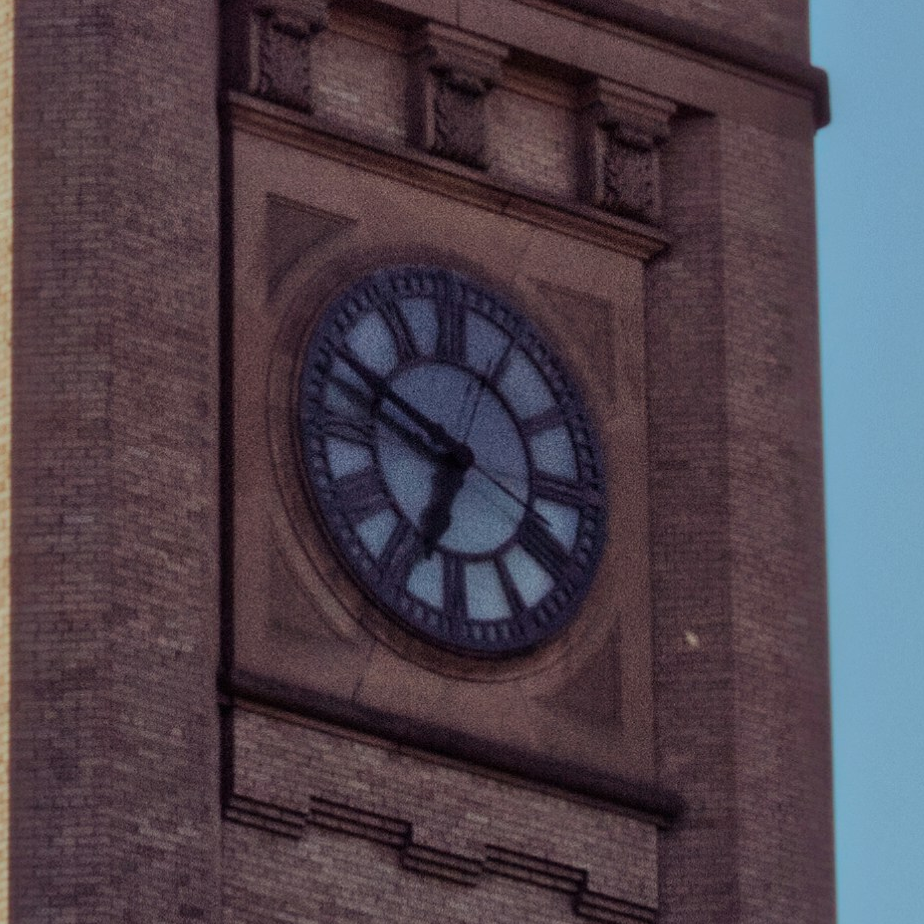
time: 6:49
